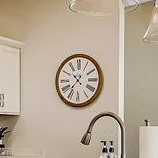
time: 10:36
